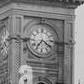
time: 7:20
